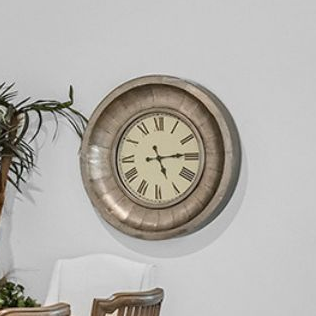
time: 5:14
